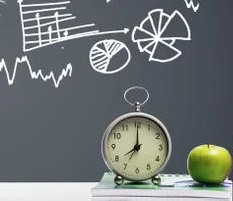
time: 8:00
